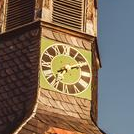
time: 8:11
